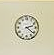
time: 2:21
